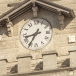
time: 8:35
